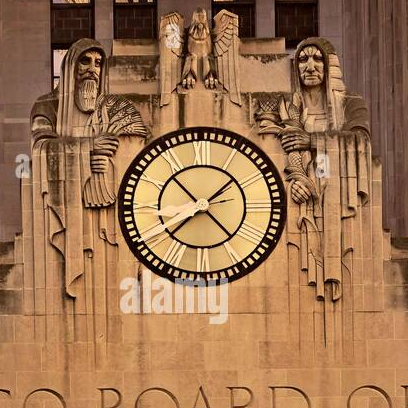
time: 1:37
